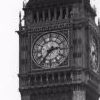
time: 2:36
